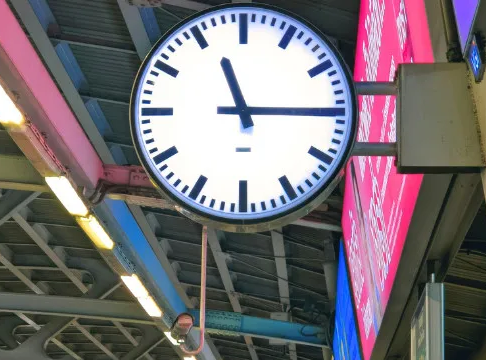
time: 11:15
